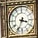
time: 3:34
